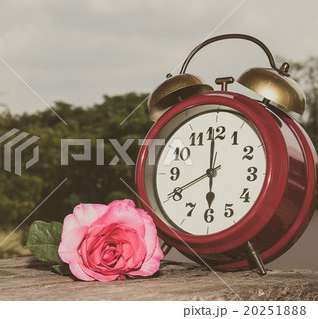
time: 5:59
